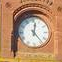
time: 12:23
